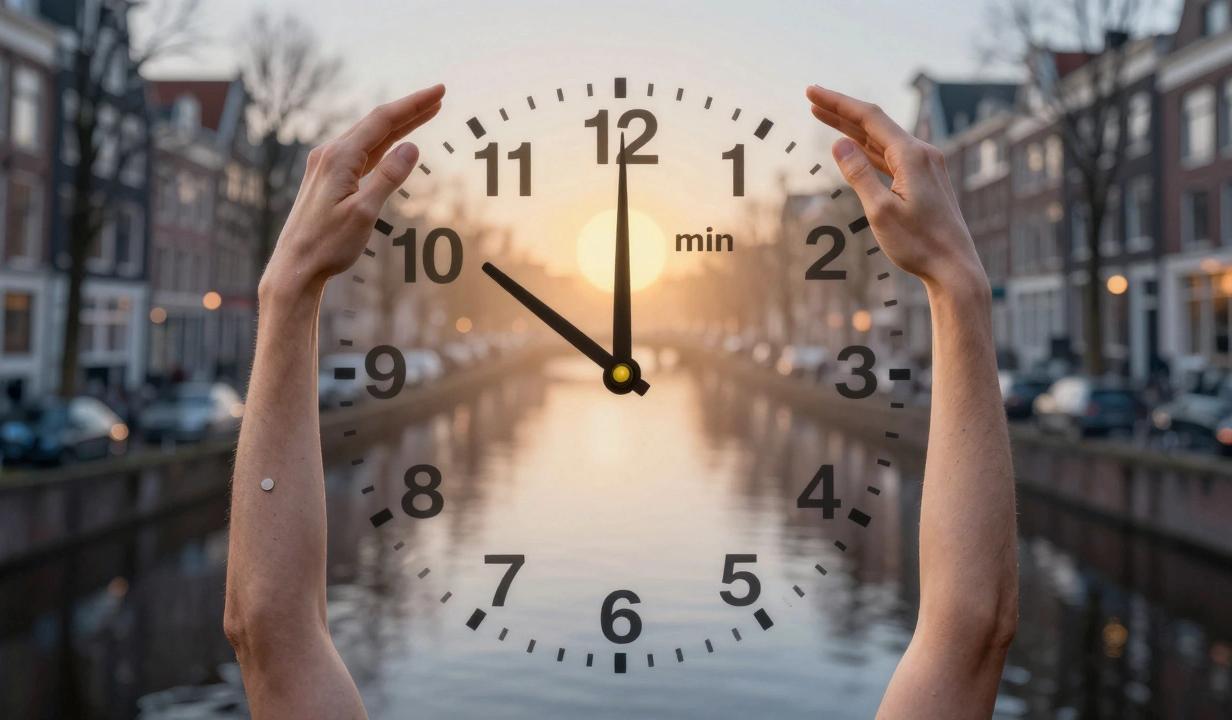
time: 10:00
